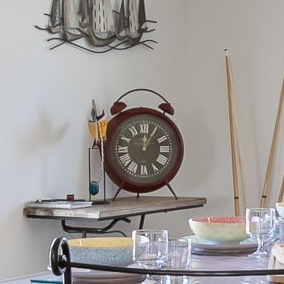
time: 12:05
